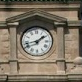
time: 1:42
